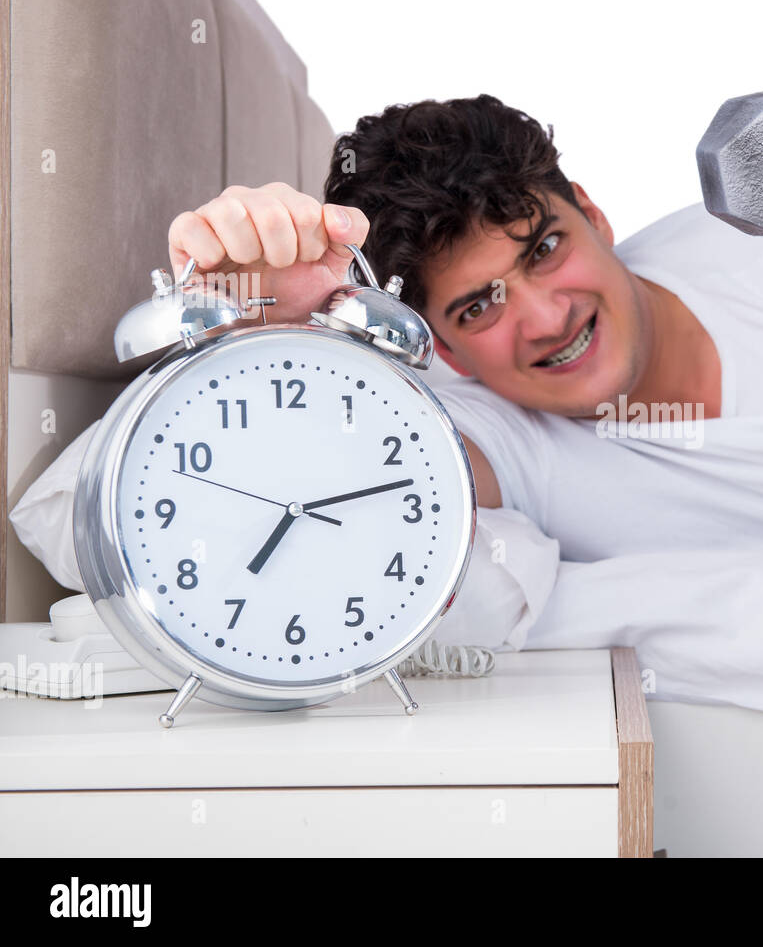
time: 7:12
